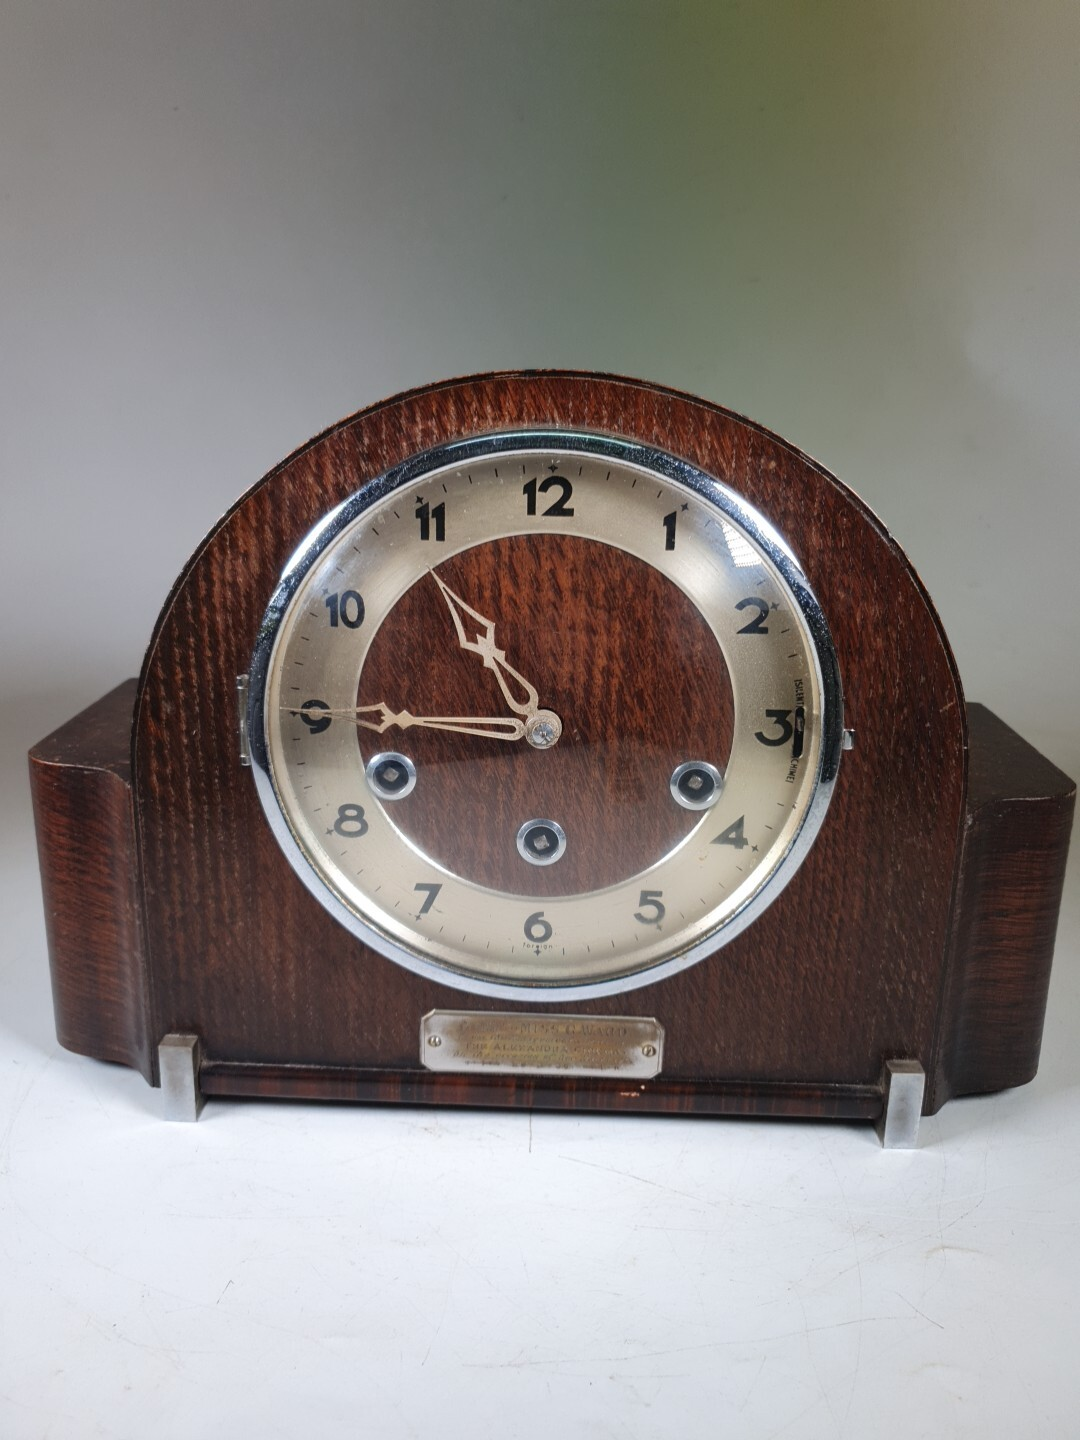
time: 10:45
